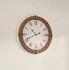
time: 10:40
